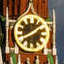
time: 1:40
